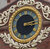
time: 3:12
